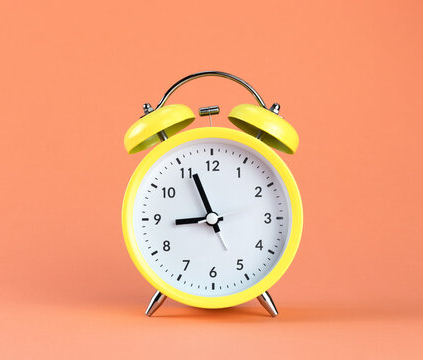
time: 8:56
